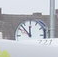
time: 11:52
